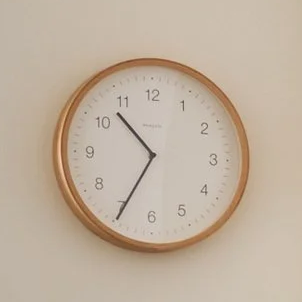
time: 10:34
